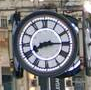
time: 8:15
